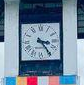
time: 3:24
